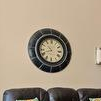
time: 10:42
